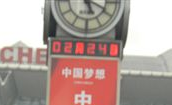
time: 5:19
